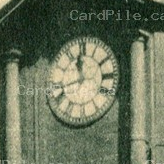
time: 11:42
